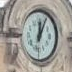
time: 12:05
